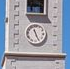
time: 11:25
